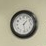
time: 1:28
